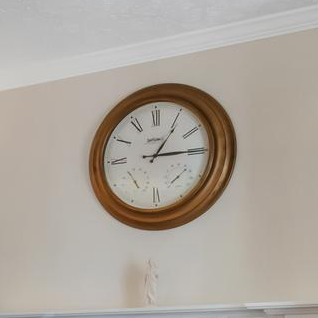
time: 1:14
